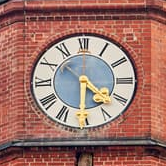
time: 4:30
